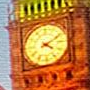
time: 4:10
